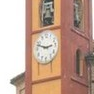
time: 2:48
